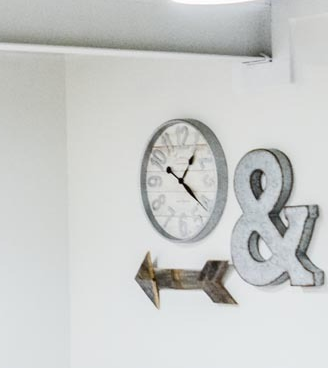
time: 1:21
